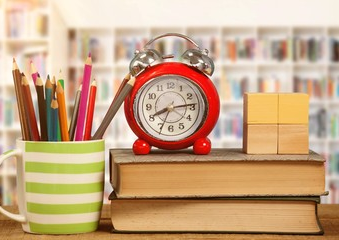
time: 8:13
